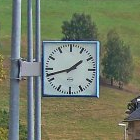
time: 1:42
